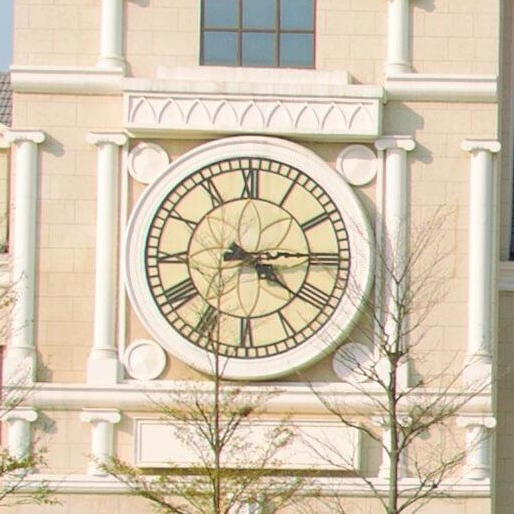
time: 4:14
